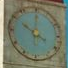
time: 10:00
